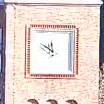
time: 11:50
